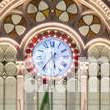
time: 5:36
